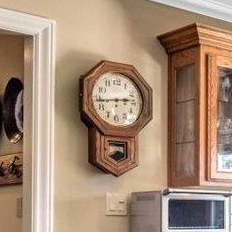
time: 2:43
